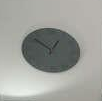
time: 12:52
